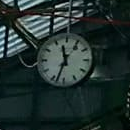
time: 11:33
